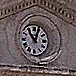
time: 11:03
